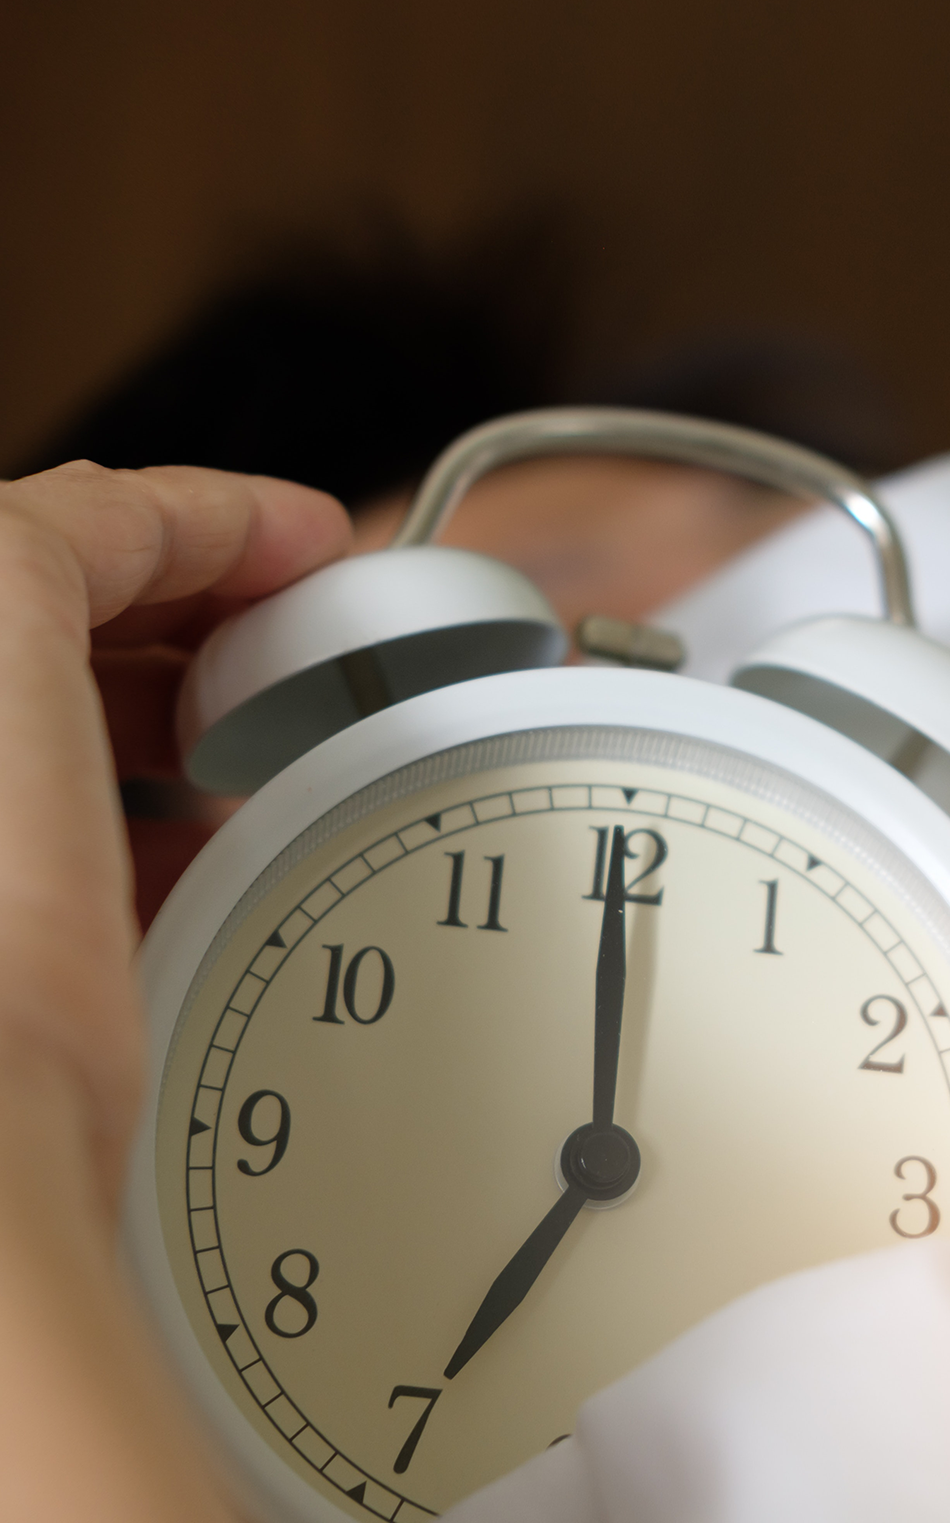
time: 7:00
